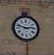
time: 2:48
